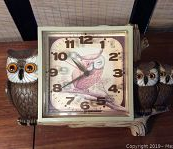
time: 10:39
